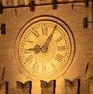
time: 9:05
